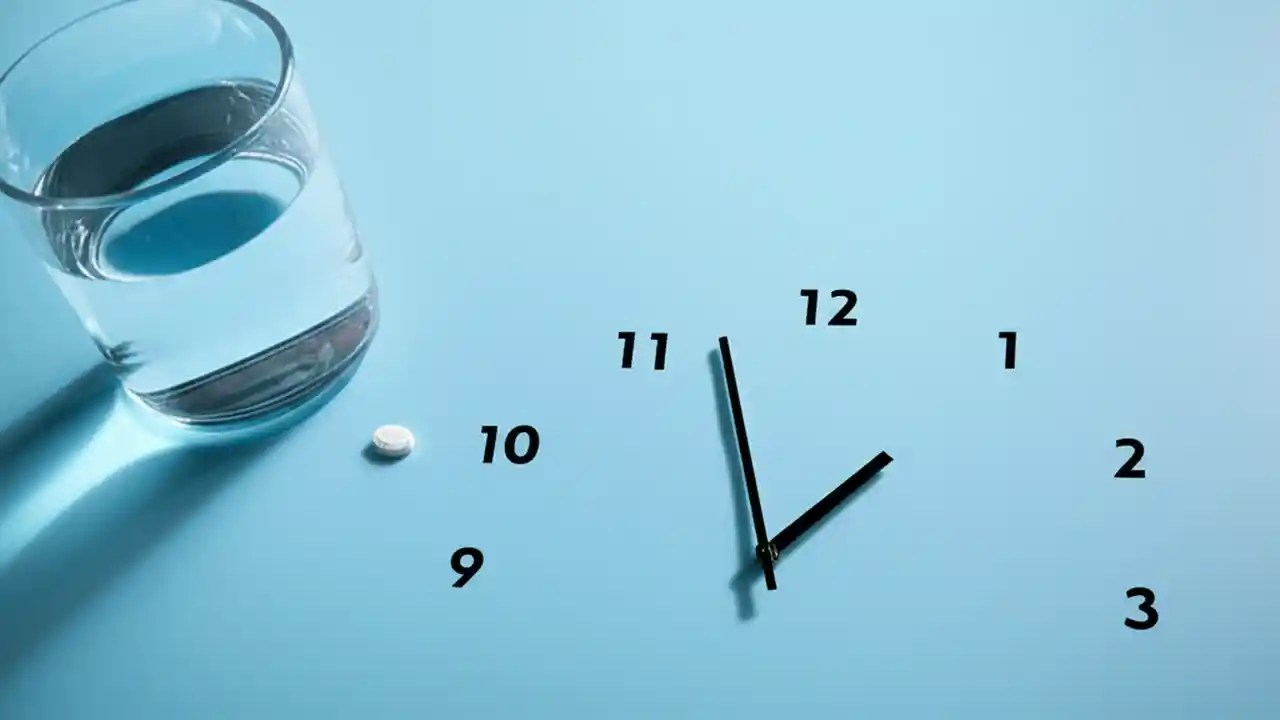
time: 12:57
